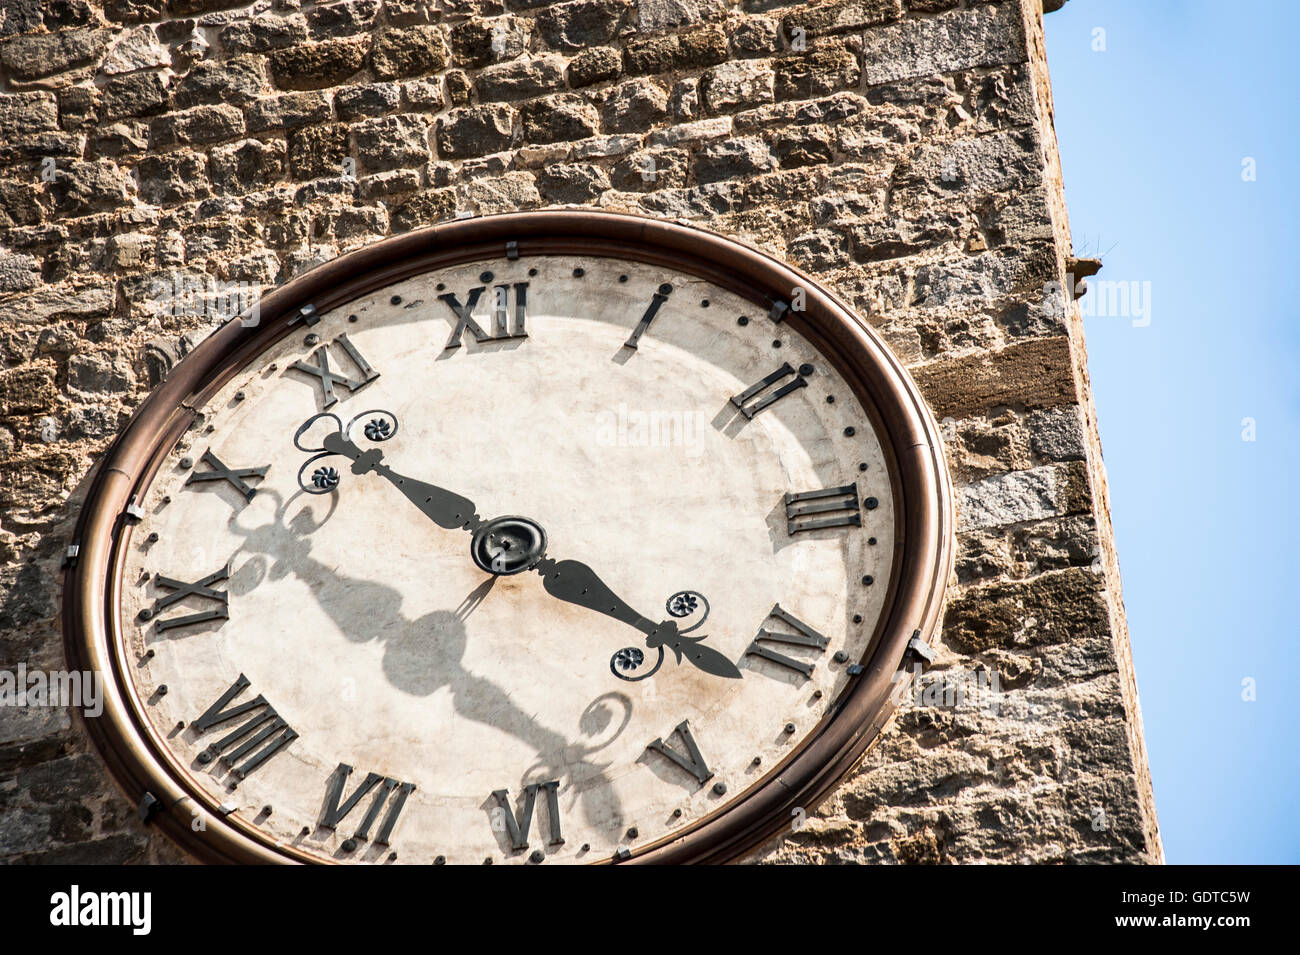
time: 10:21
